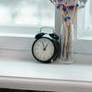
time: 12:57
